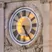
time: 5:24
